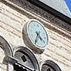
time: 4:34
